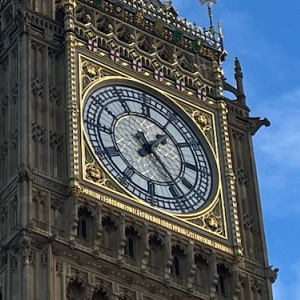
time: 1:23
